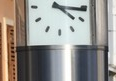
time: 4:16
